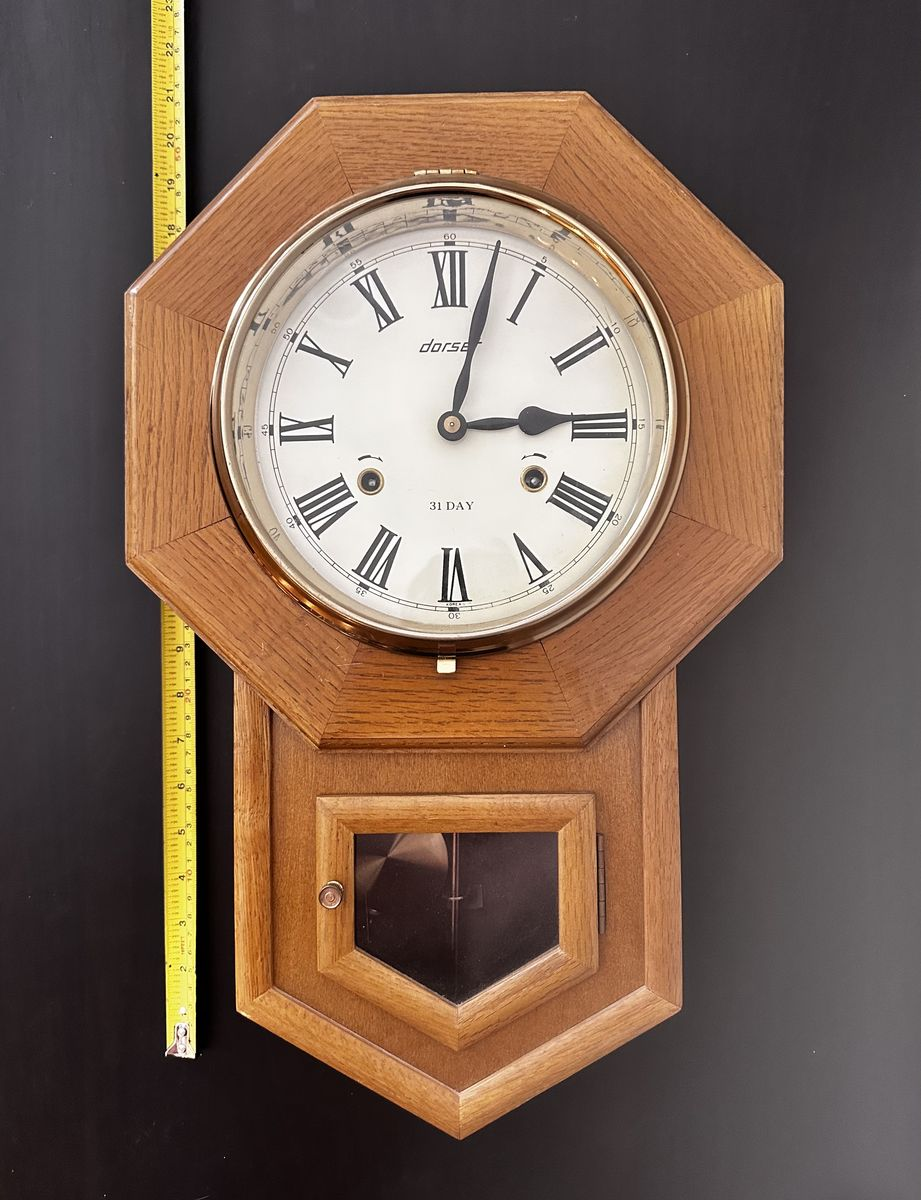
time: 3:02
